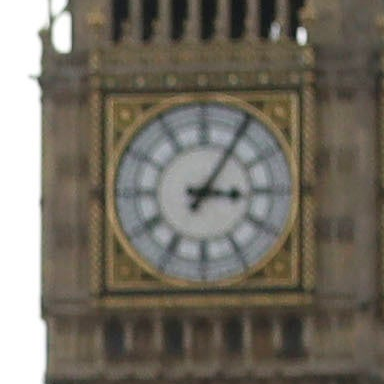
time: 3:05
